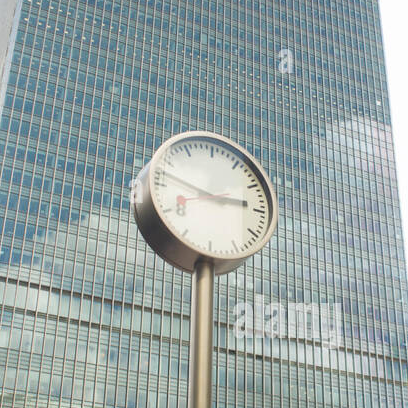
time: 2:48
